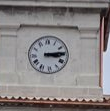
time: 3:14
